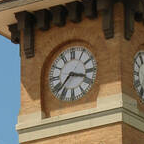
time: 3:38
